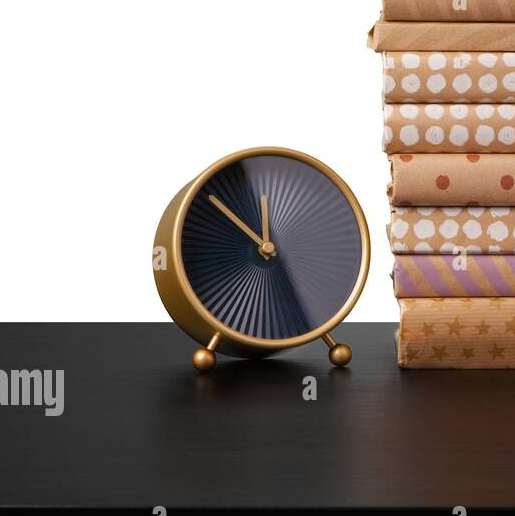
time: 11:50
